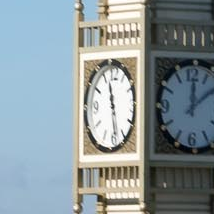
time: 11:28
